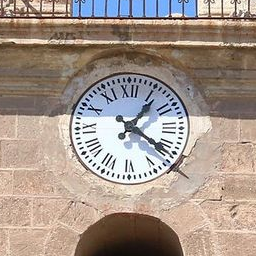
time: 1:21
